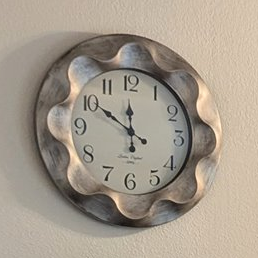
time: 11:50
